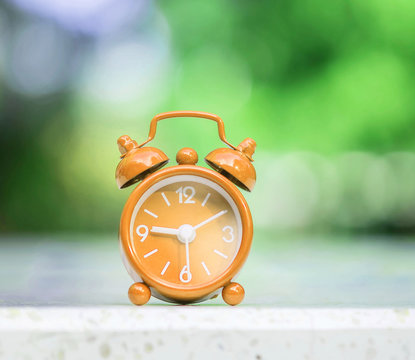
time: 9:10
